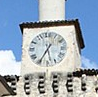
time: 5:35
